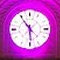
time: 5:54
